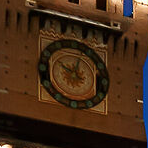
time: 10:02
